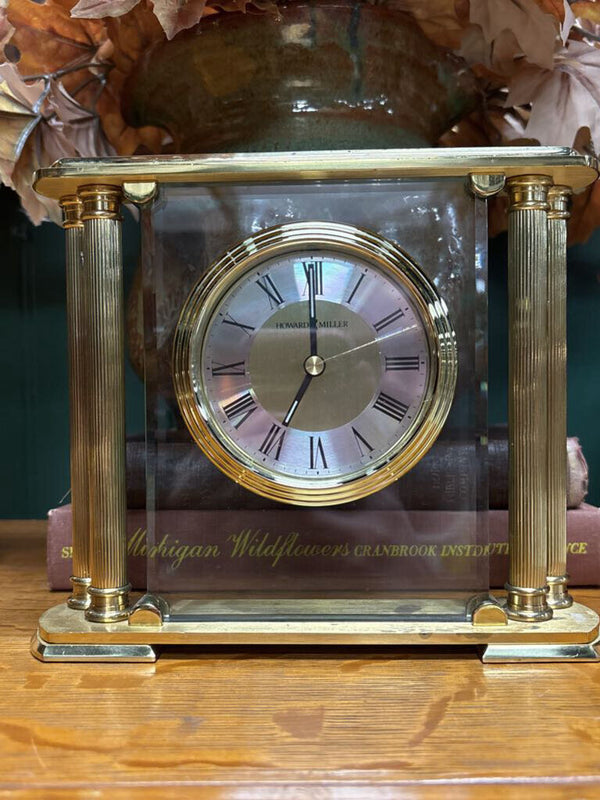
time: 7:00
